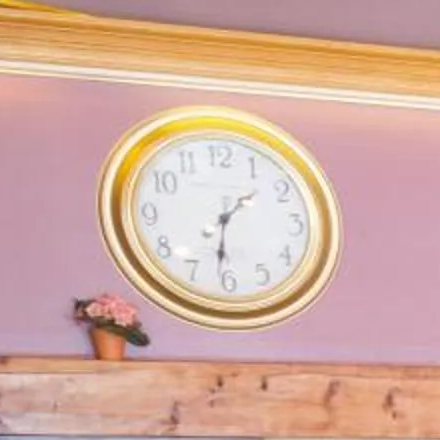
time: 1:31
